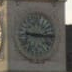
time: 9:14
